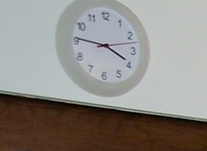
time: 3:46
